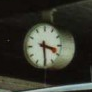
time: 3:29
